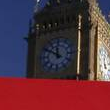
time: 11:50
